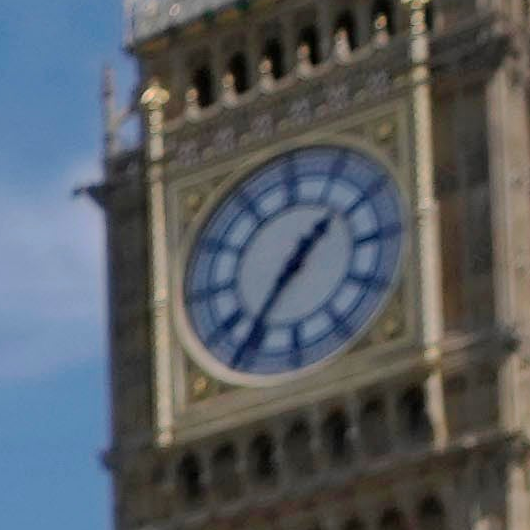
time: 1:36
